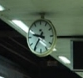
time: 9:35
